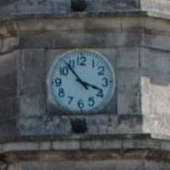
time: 3:53
